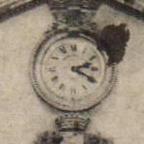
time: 2:19
